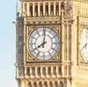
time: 8:01
